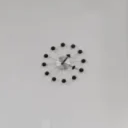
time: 1:19
